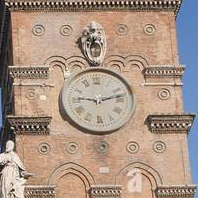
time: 9:12
